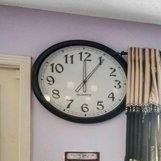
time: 12:05
